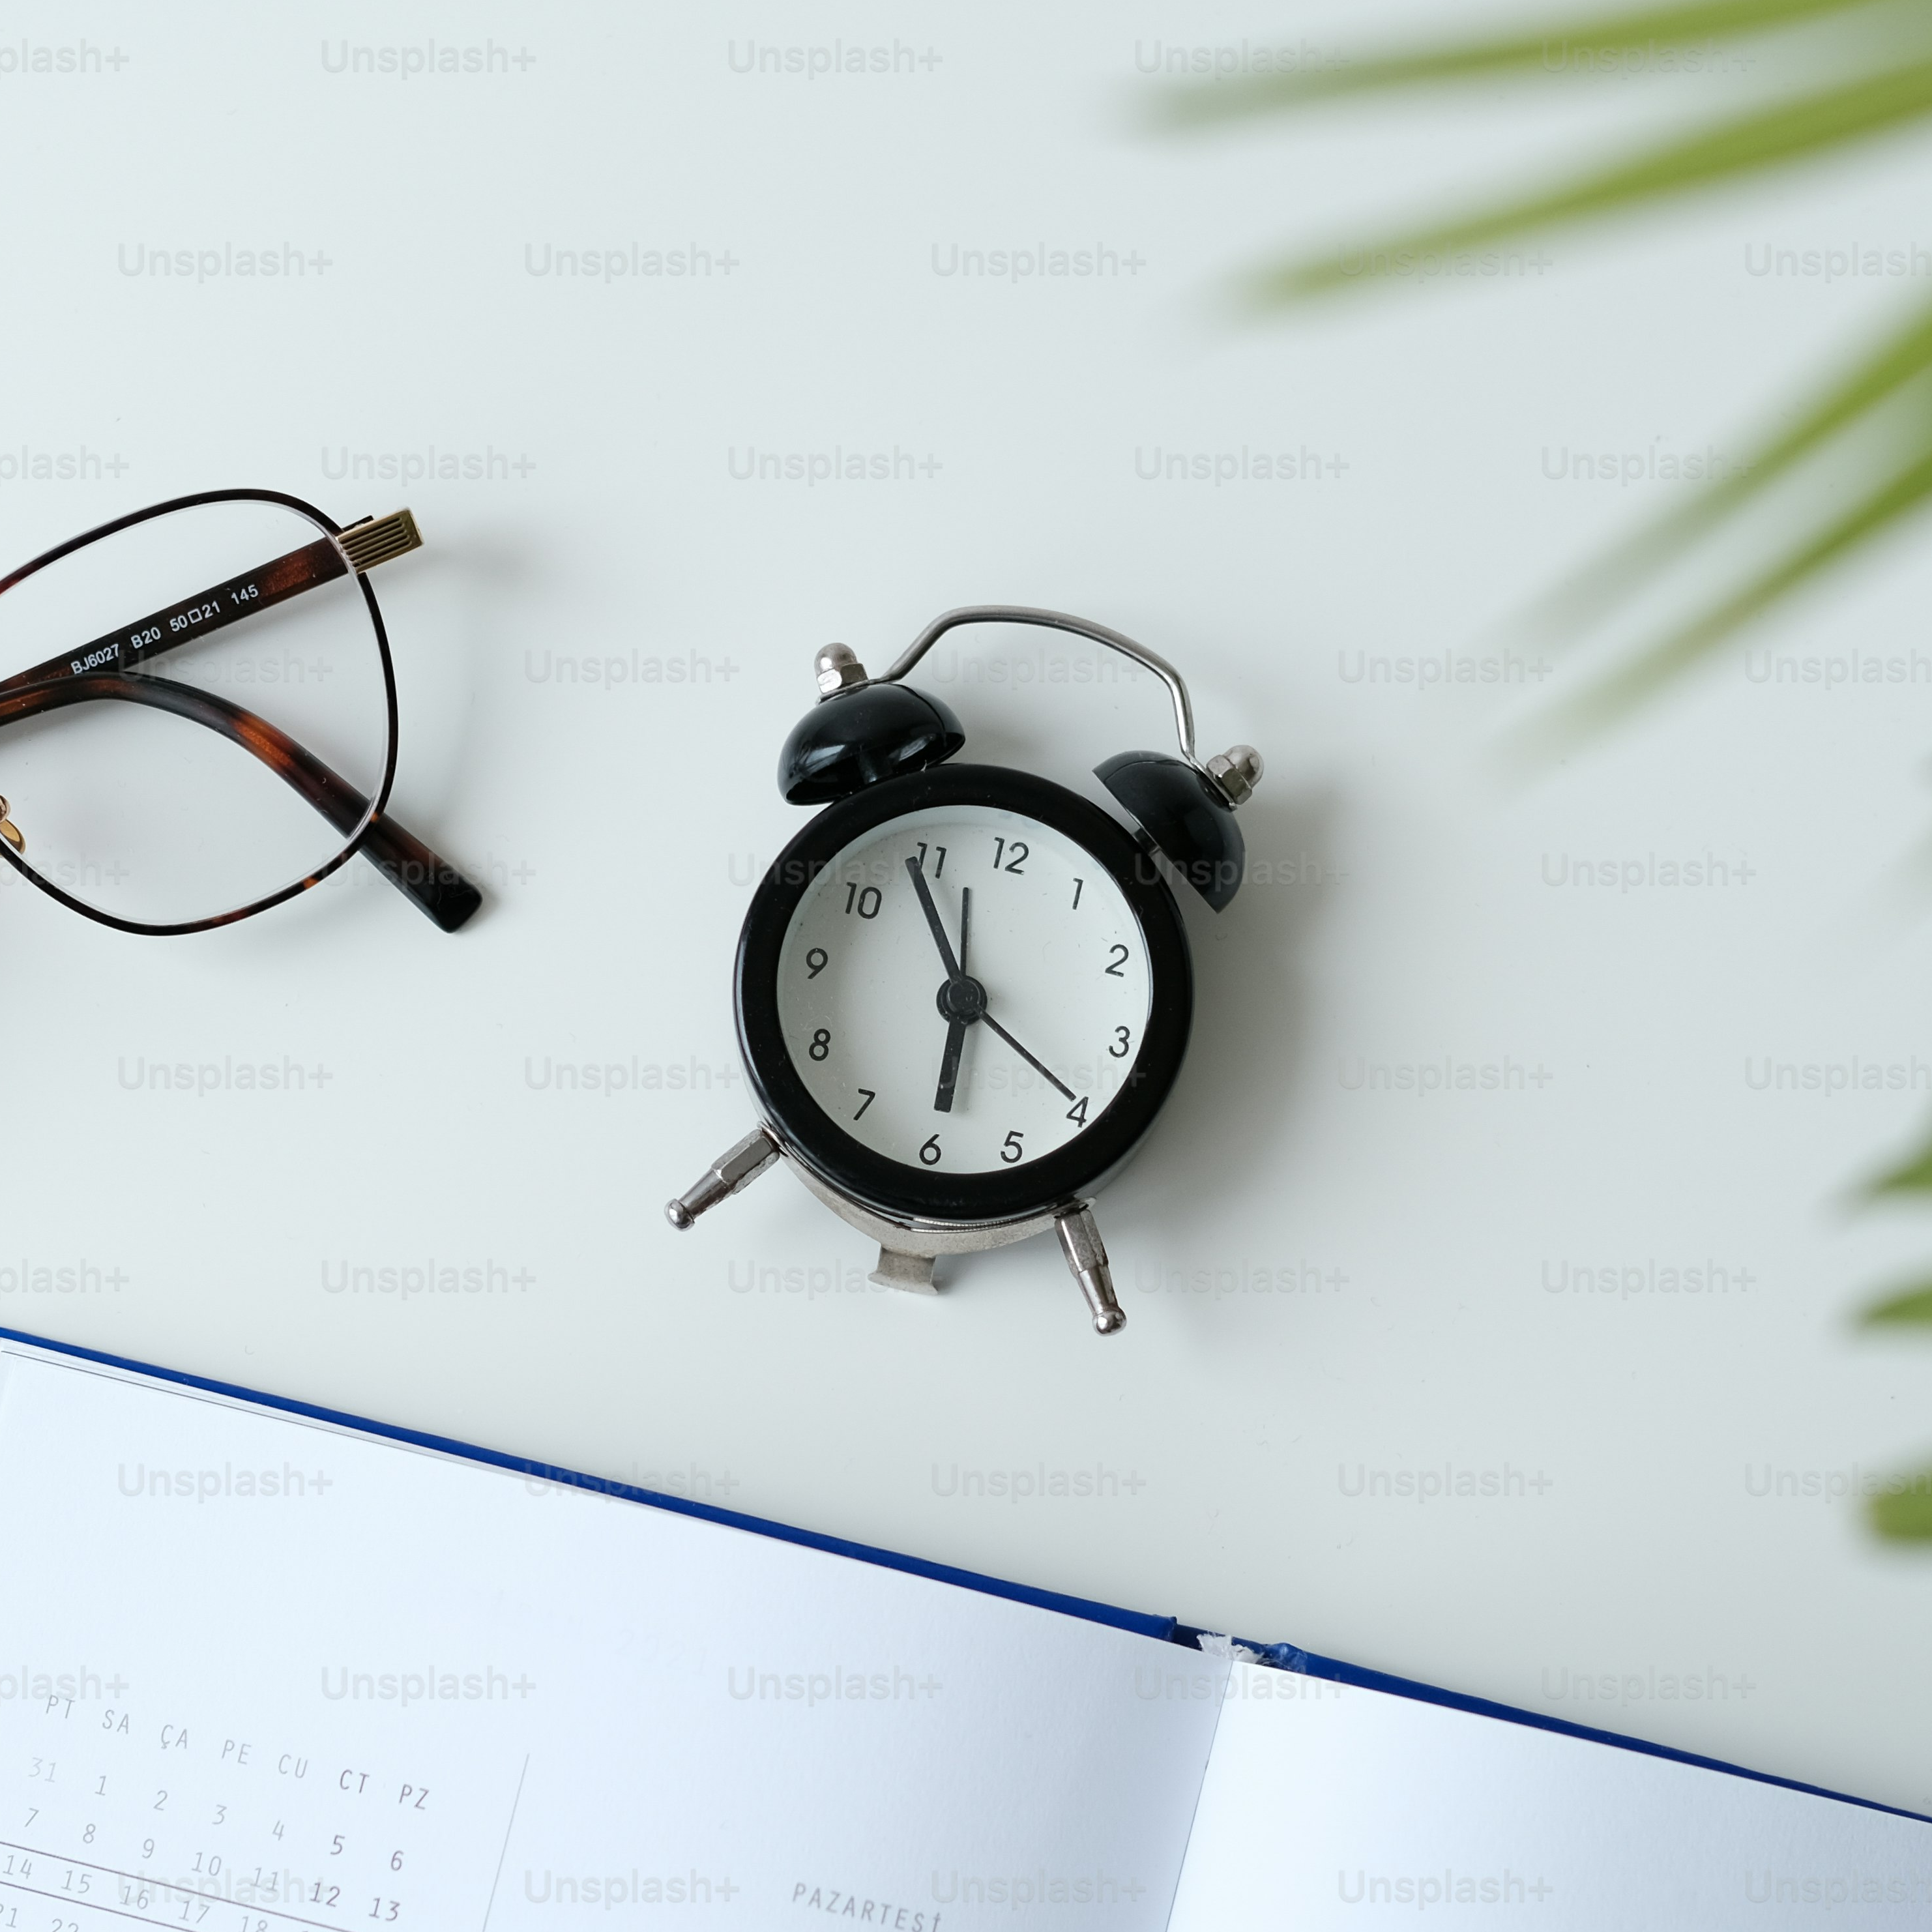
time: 5:54
